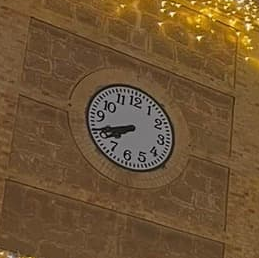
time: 7:40
